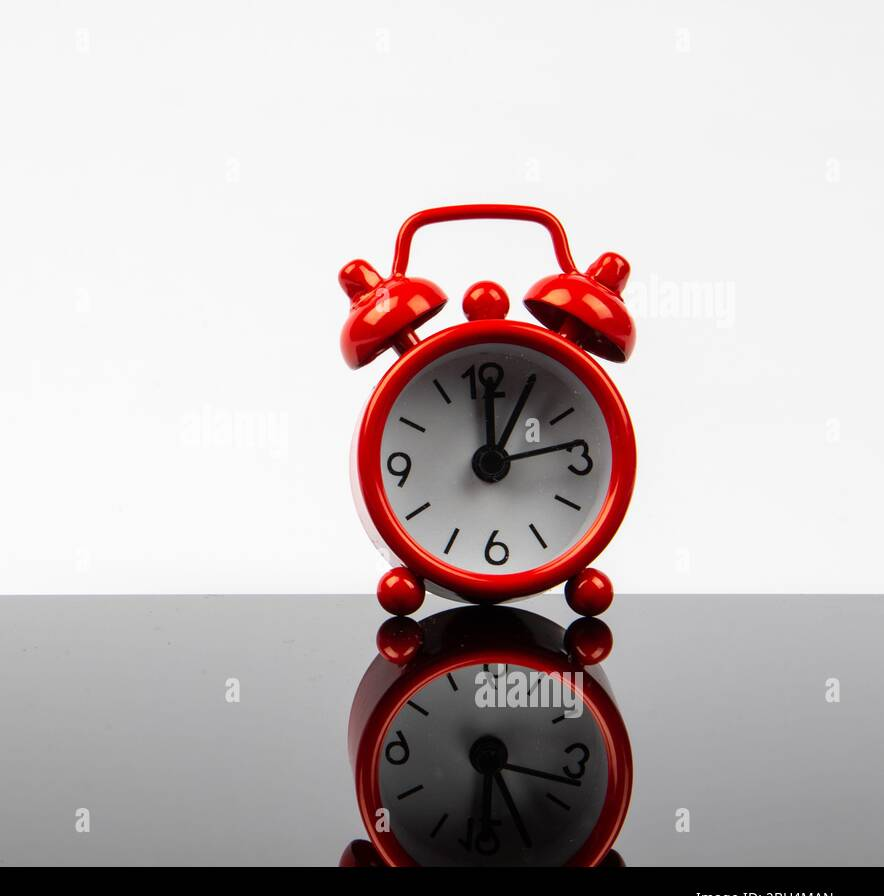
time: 12:05
